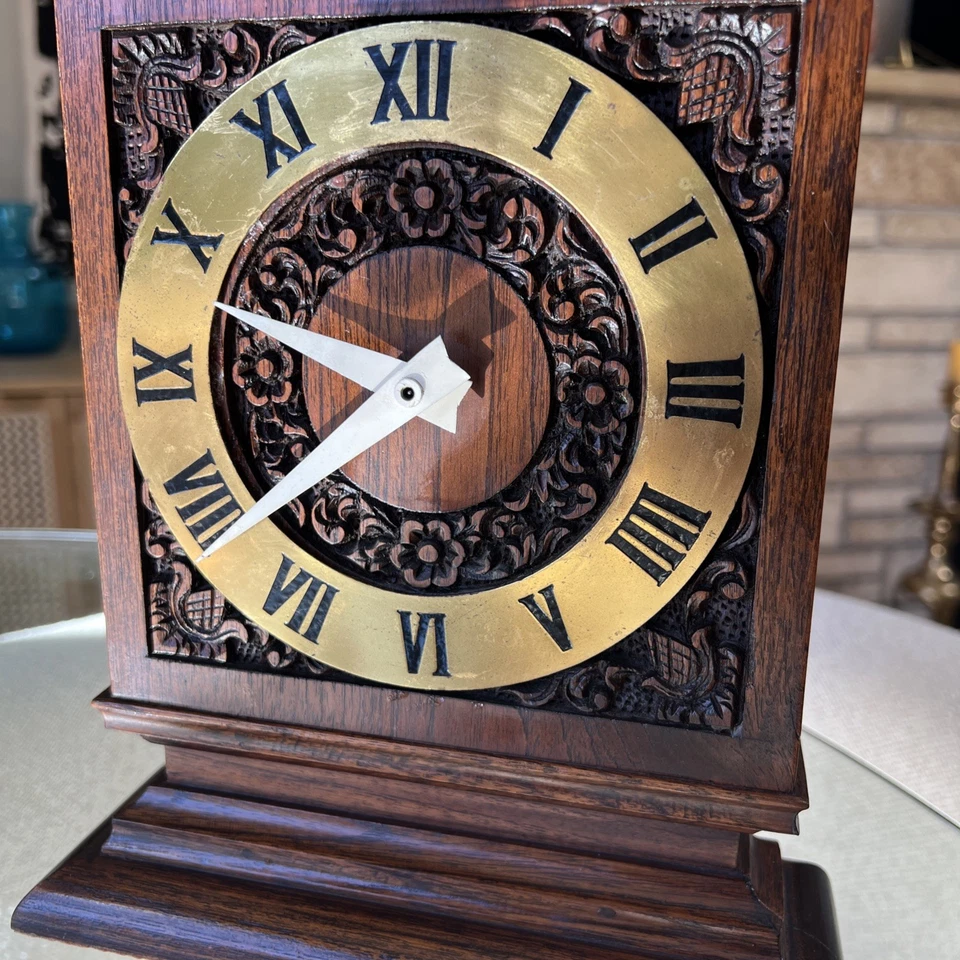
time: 9:38
